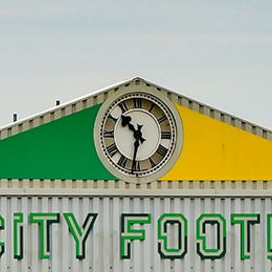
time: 10:31
